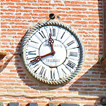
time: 11:40
